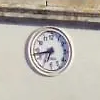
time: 6:42
